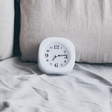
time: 7:13
